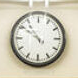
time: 10:50
